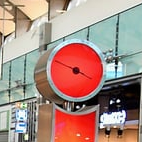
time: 3:48
